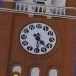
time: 4:29
